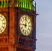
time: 9:01
